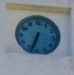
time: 6:33
